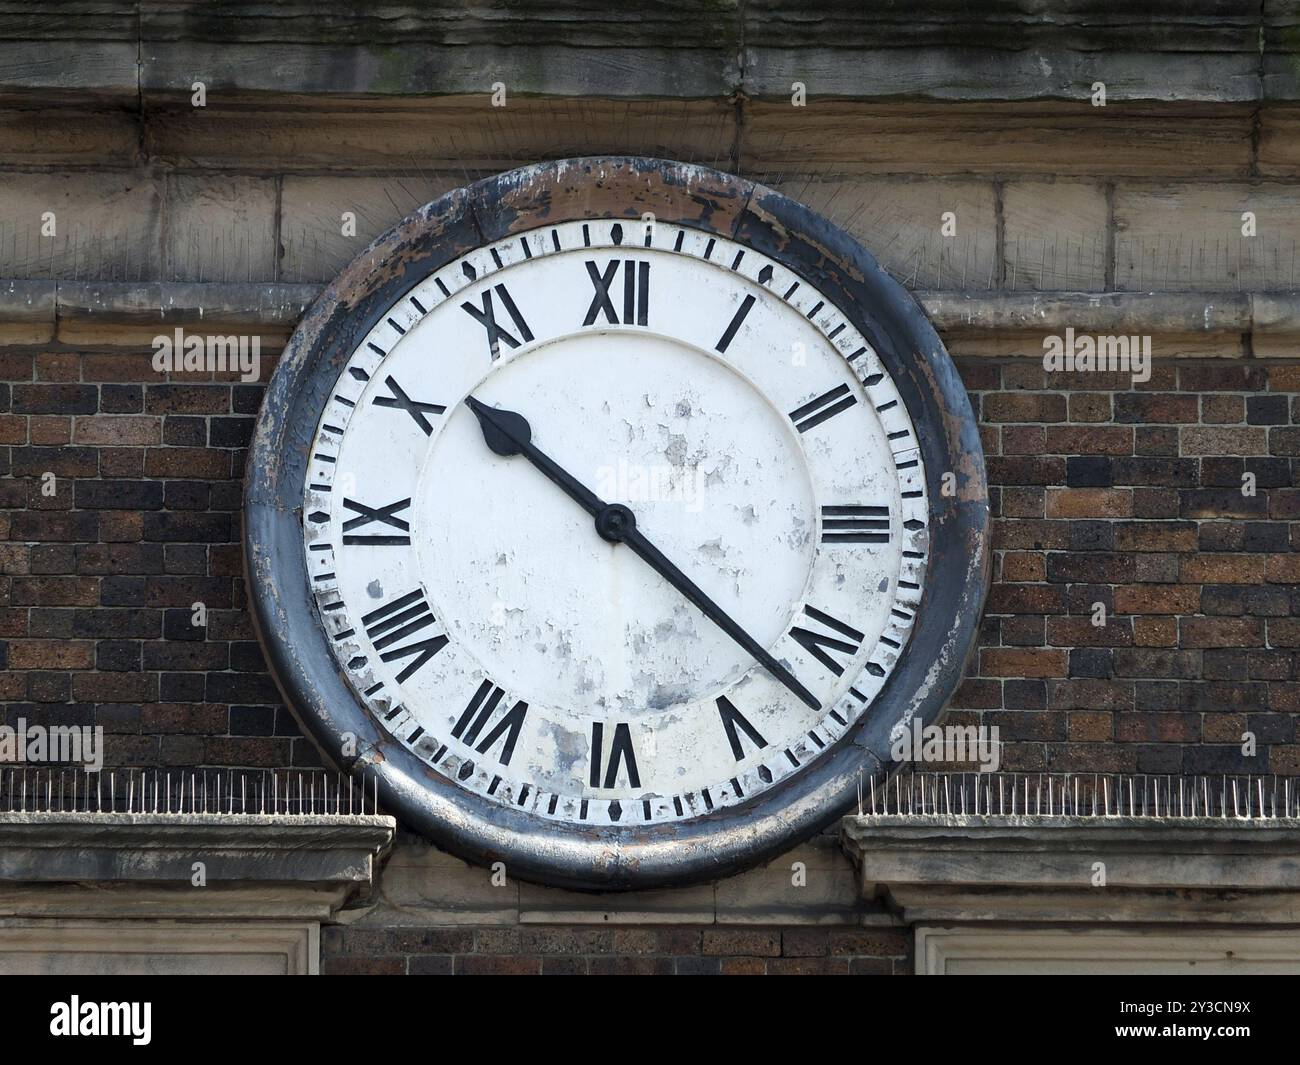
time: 10:21
